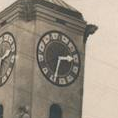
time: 2:33
